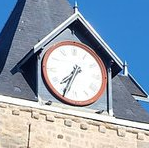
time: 7:34
